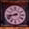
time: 8:42
